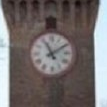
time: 11:09
